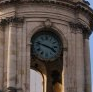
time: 3:47
